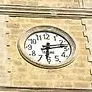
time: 6:13
